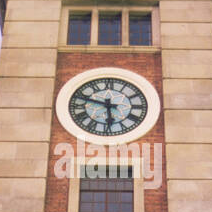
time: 5:47
